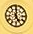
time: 5:00
